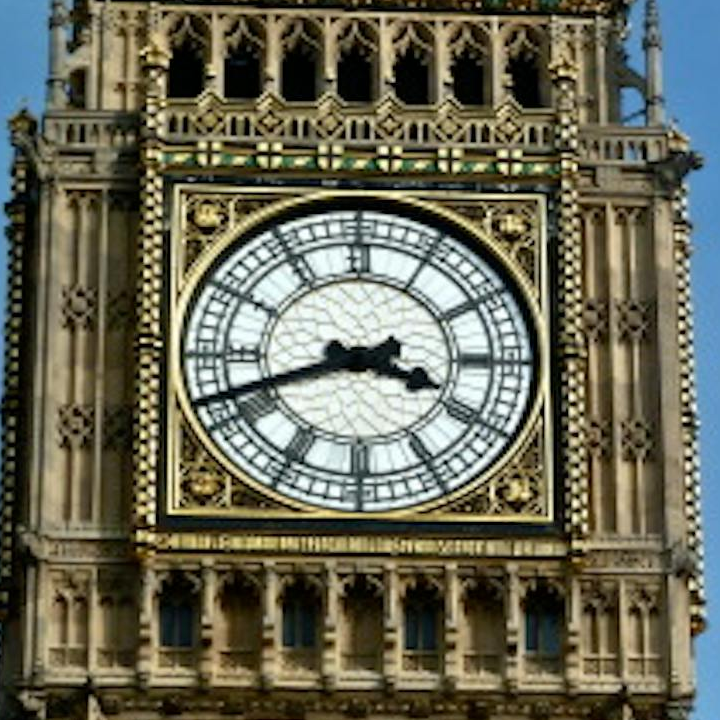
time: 3:41
